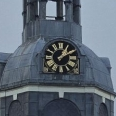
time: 1:09
